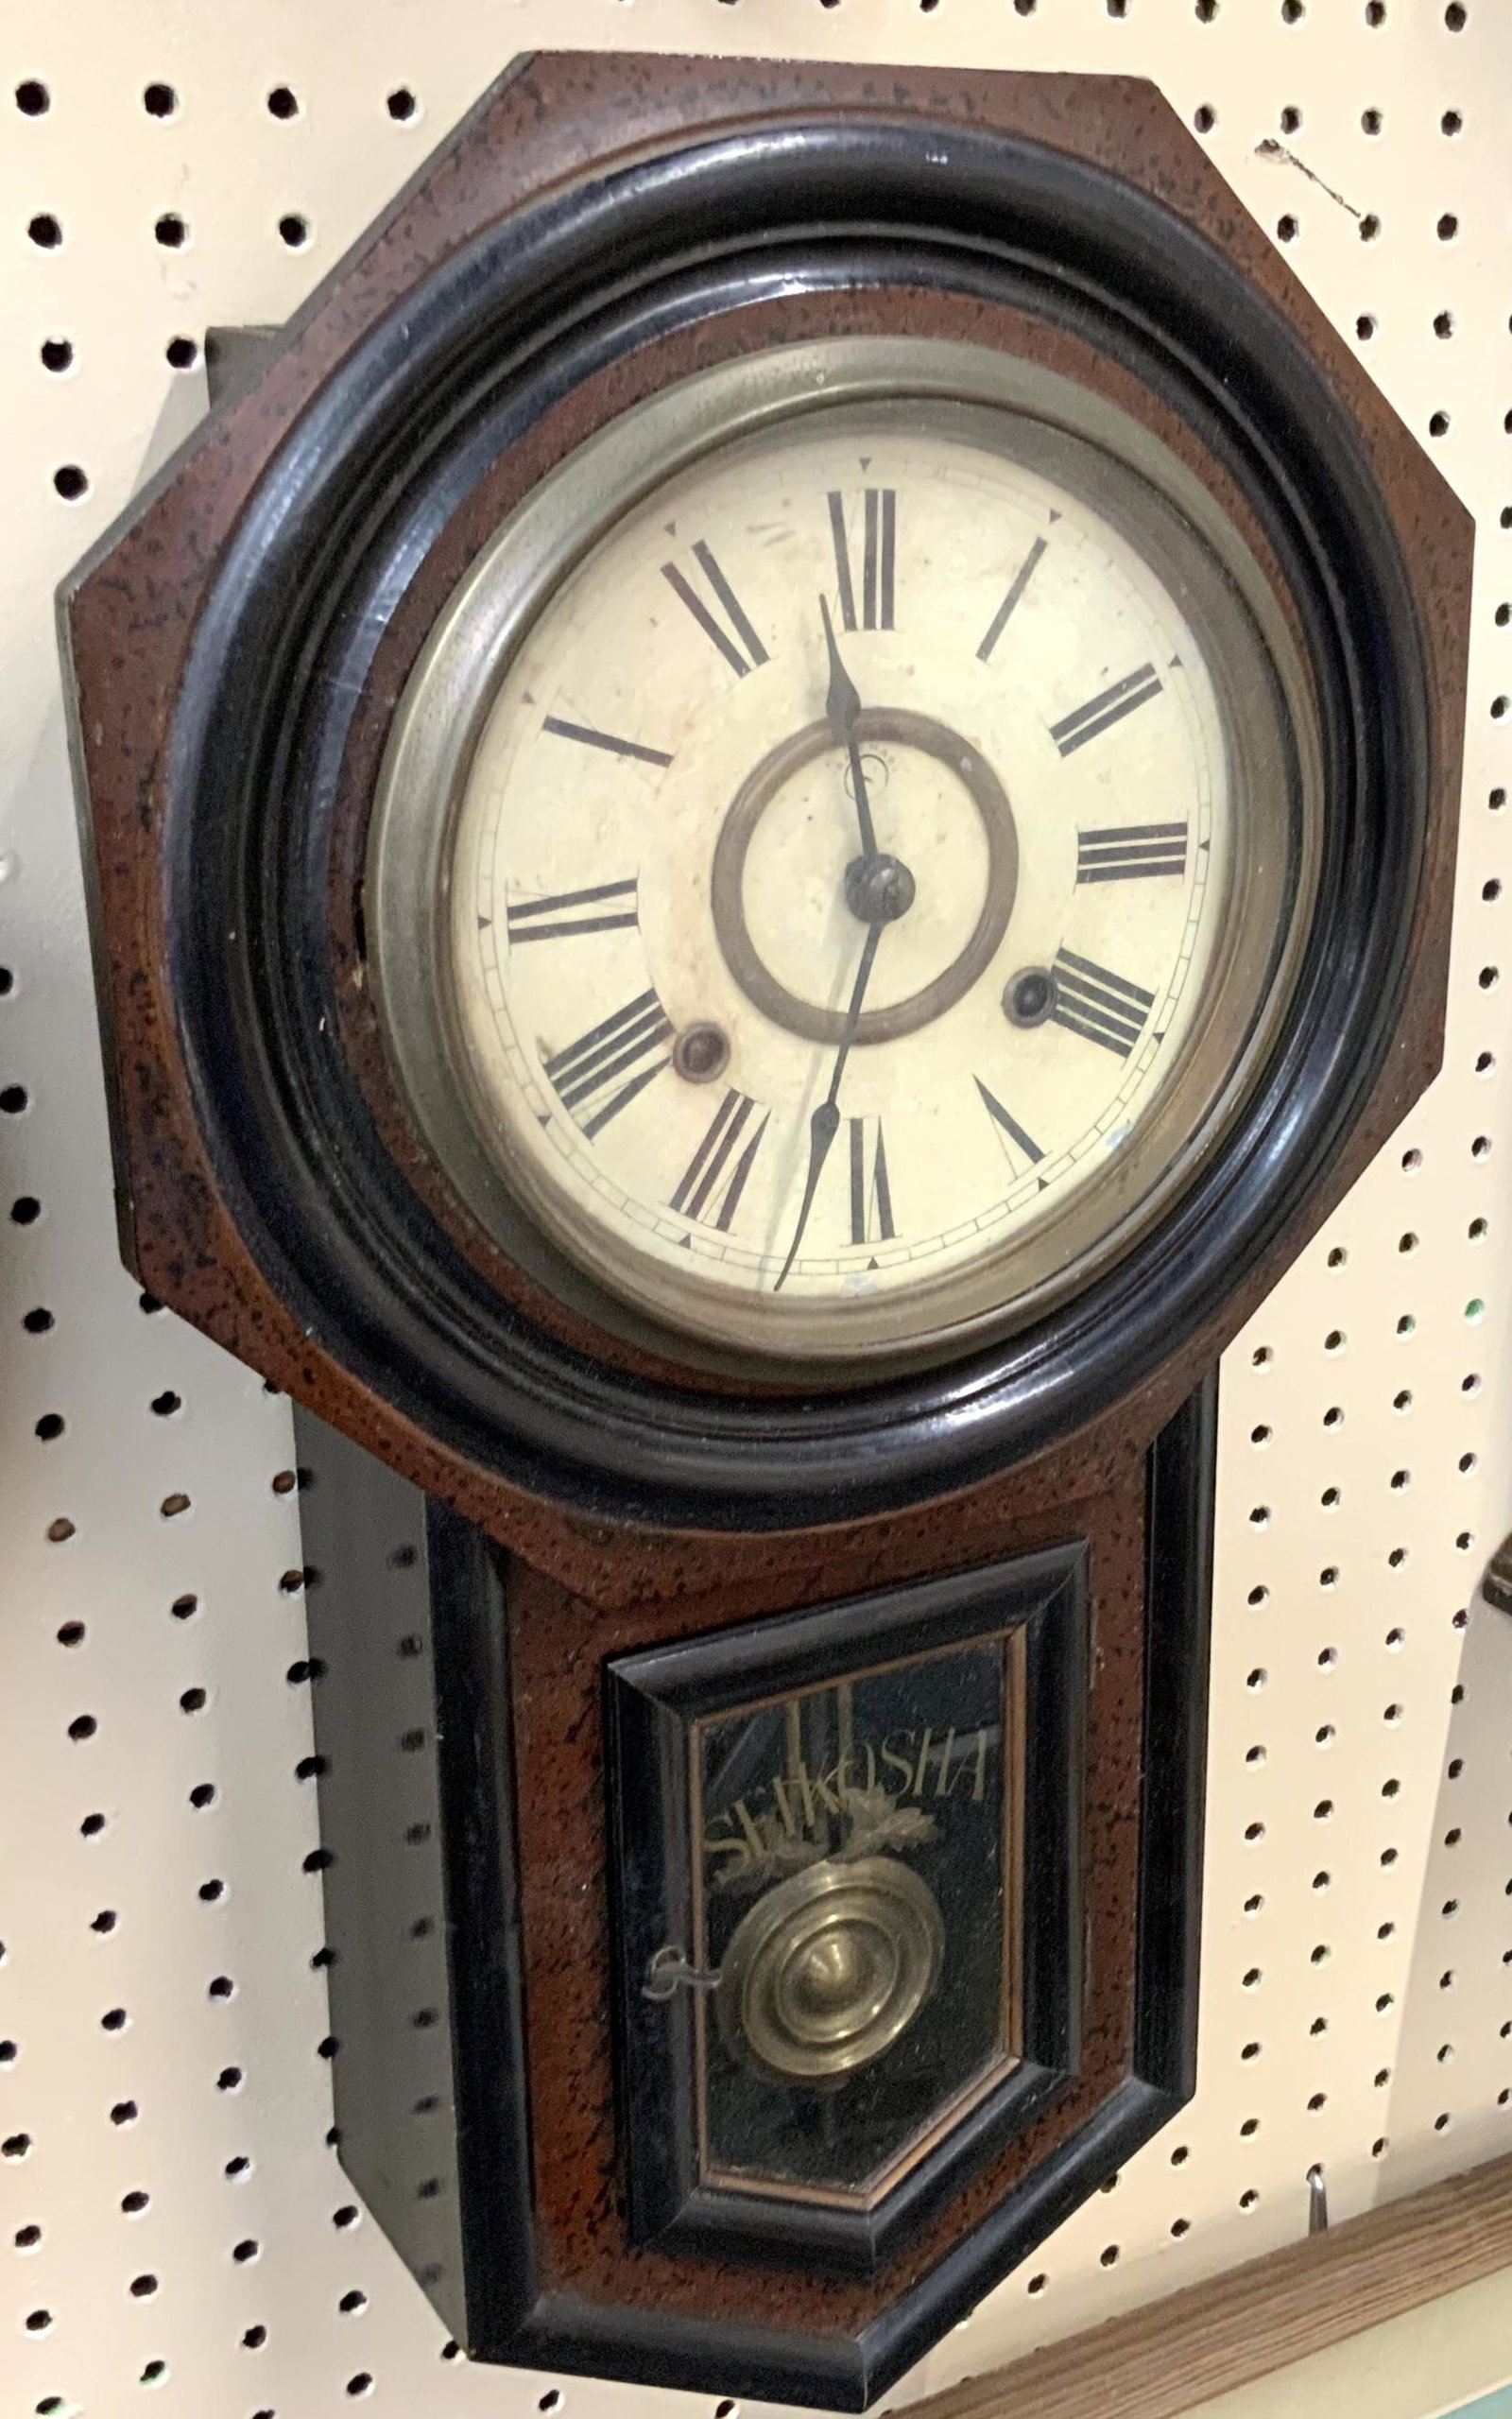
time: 11:32
